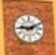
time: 9:11
